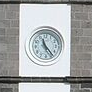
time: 11:23
